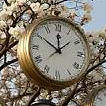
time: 11:50
